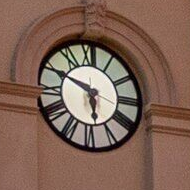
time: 5:49
